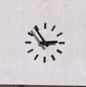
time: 2:54
